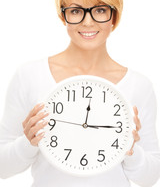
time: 12:14
